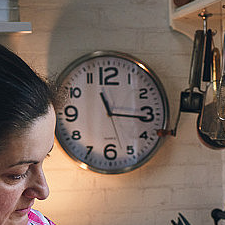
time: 11:16
